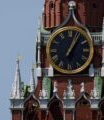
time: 1:03
